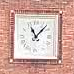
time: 11:07
